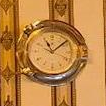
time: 11:08
